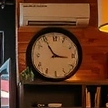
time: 2:54
